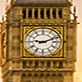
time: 9:11
